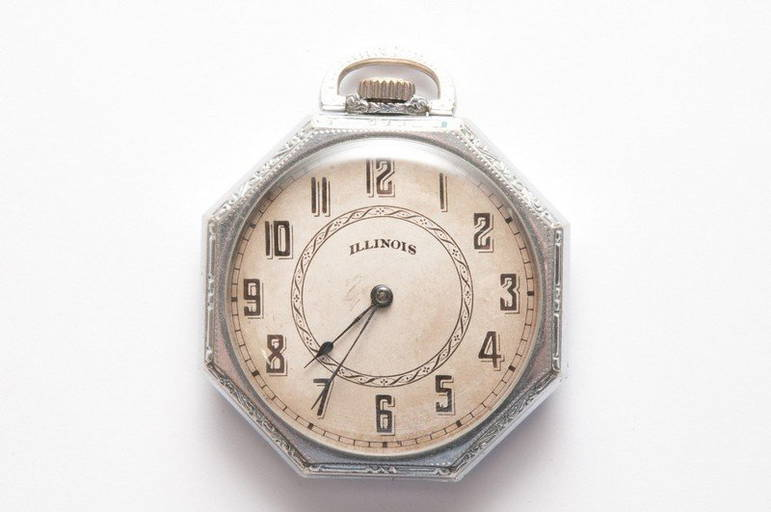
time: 7:35
